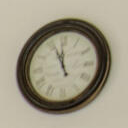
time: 11:56
